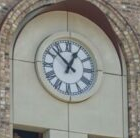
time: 12:52
